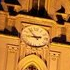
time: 8:53
